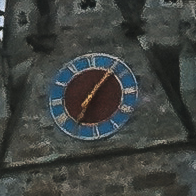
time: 7:07
